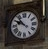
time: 9:53
